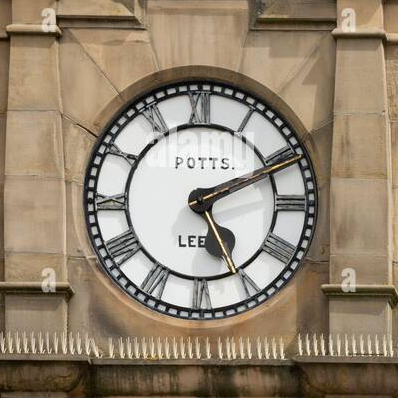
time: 5:10
